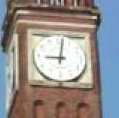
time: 9:01
